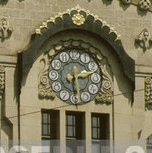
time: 2:29
